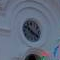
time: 10:20
